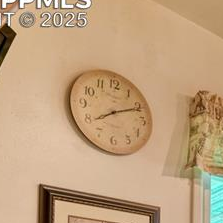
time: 8:11
